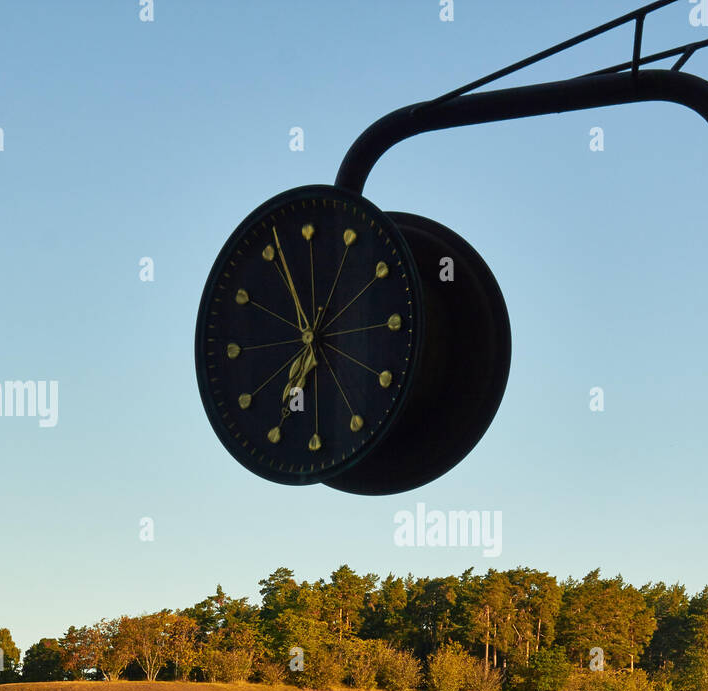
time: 6:56
